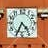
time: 4:34
